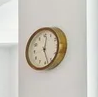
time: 12:27
